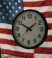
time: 1:50
